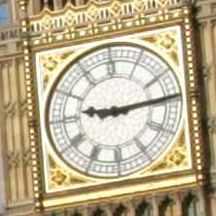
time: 9:14
